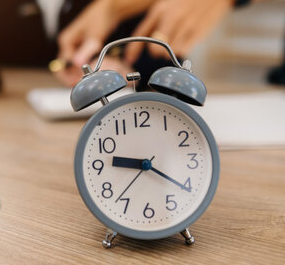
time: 9:20
